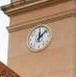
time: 12:07
